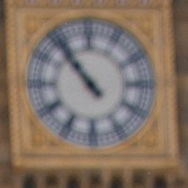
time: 10:53
